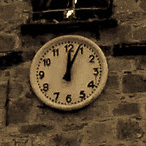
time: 12:03
